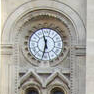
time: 11:32
